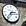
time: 2:36
